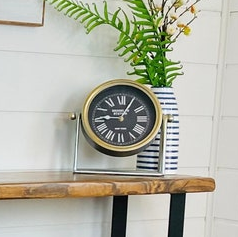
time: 9:05
